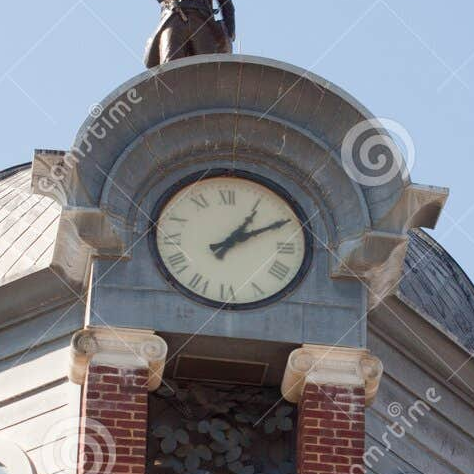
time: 1:10
